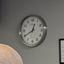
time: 12:40
